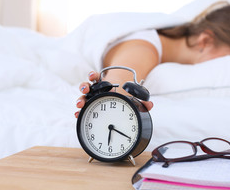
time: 6:19
